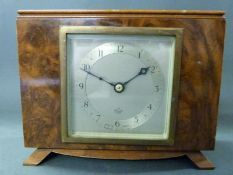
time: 1:49
